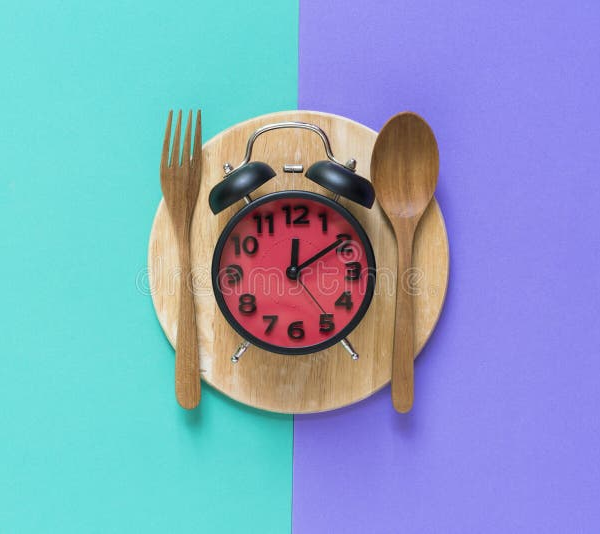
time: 12:09
